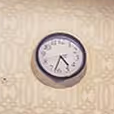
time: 4:32
